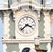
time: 3:37
